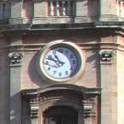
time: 10:48
